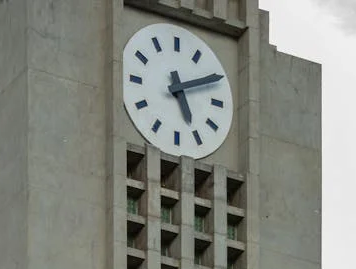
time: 5:10
